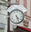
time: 4:26
